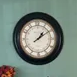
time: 1:09
